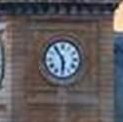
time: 5:54
